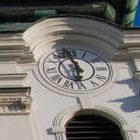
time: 5:57
